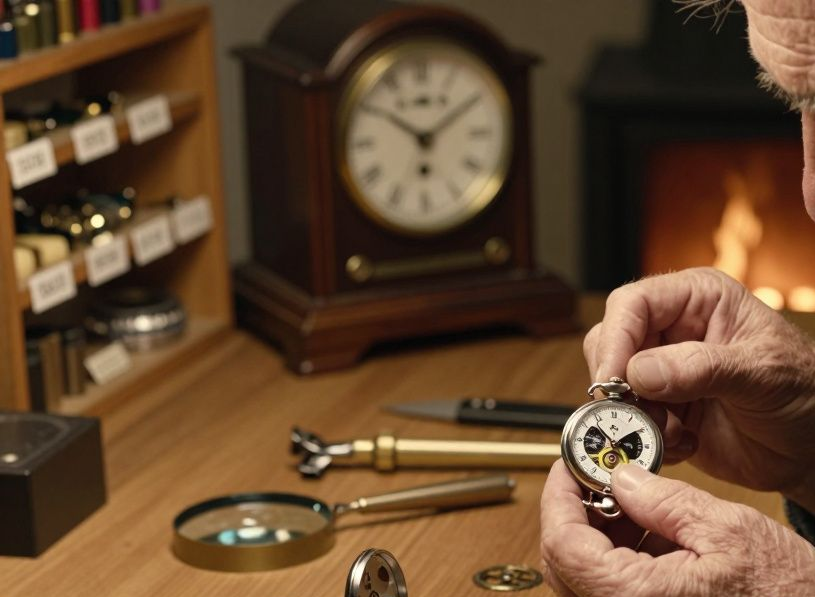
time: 1:50
